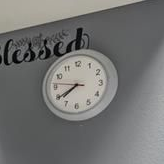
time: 7:39
